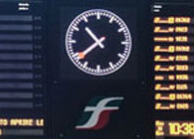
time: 10:38
